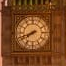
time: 7:41
